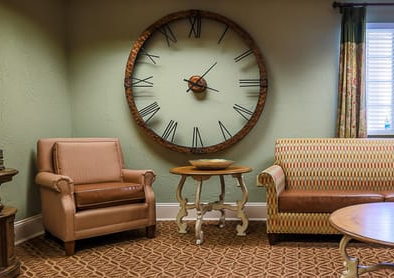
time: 1:18
